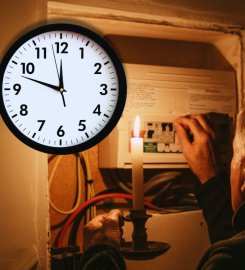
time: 11:47
